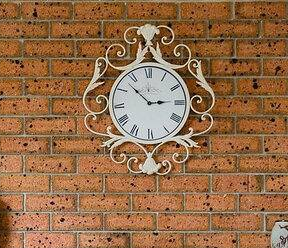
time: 2:52
